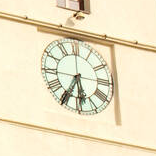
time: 5:34
